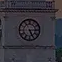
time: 5:14
